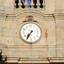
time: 7:35
